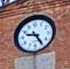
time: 9:24
